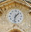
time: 1:32
